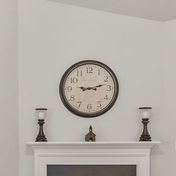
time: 9:12
